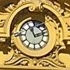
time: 11:12
